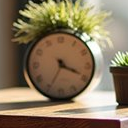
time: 3:34
